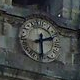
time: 2:29
